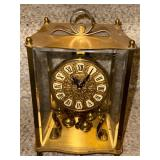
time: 11:06
